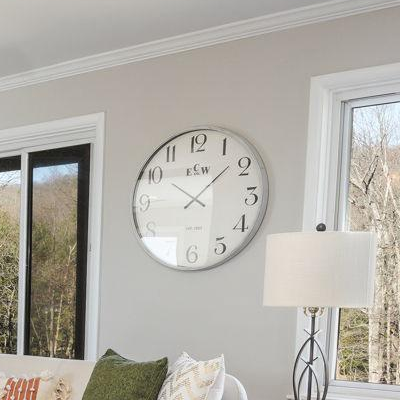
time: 10:08
